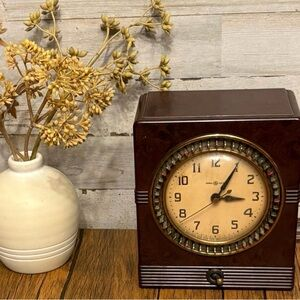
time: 3:04
